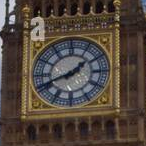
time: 1:41
